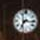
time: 7:15
